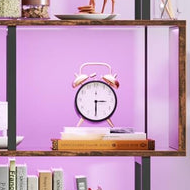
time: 3:30
